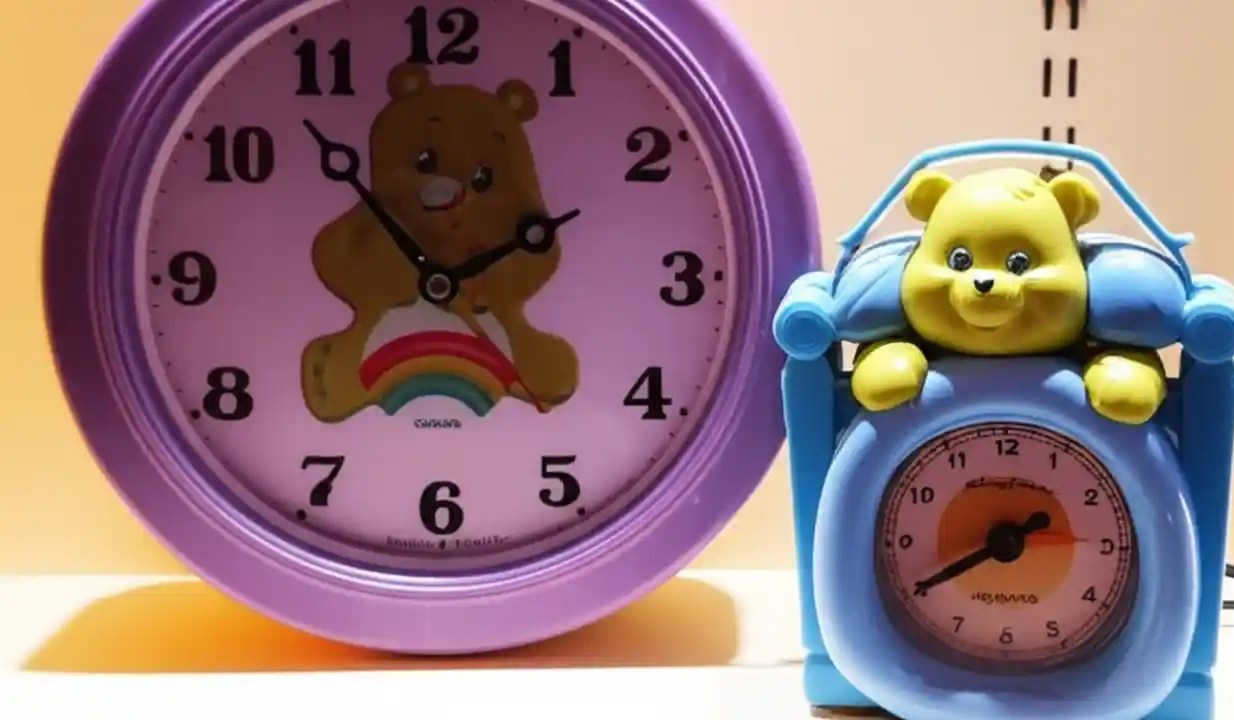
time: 1:53
